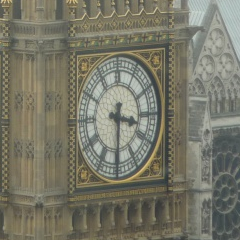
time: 3:30
